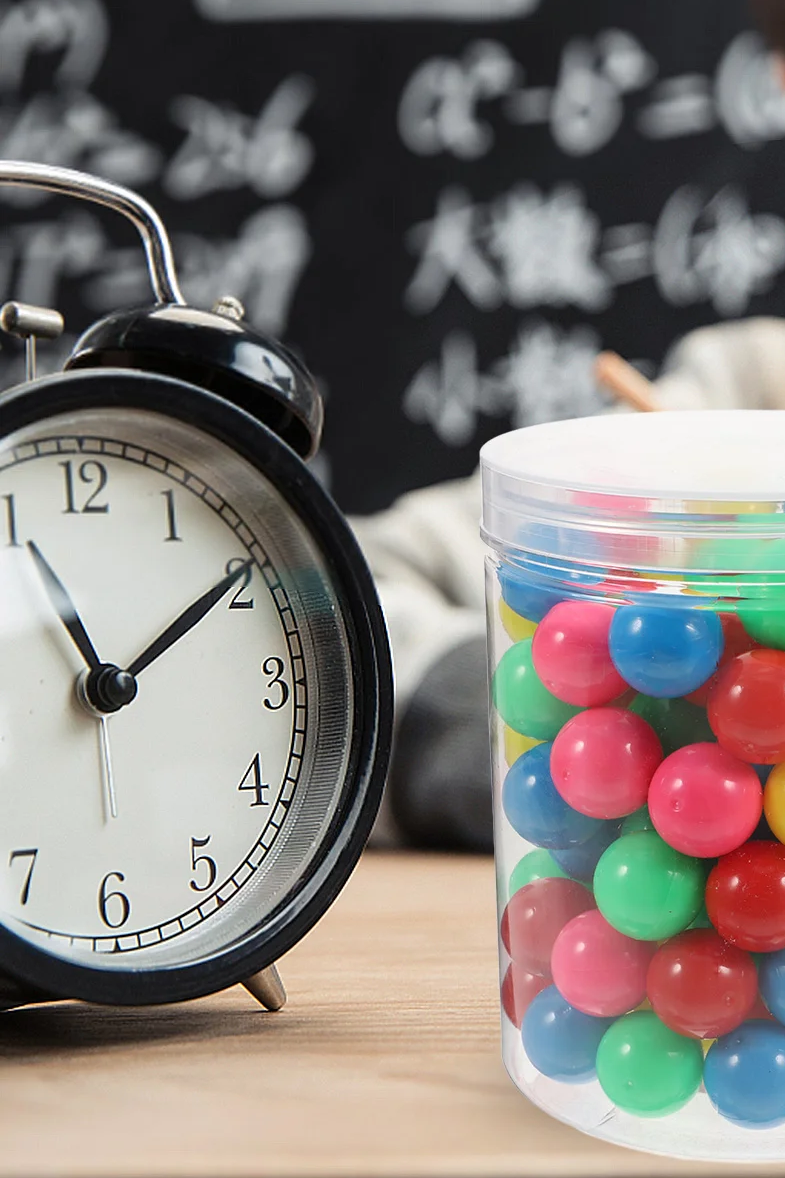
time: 11:09
